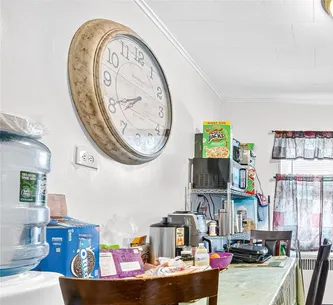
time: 7:40
